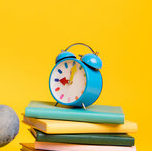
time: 9:01
